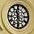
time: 11:29
